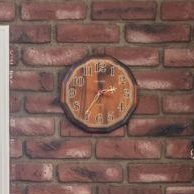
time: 2:36
